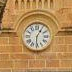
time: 6:05
